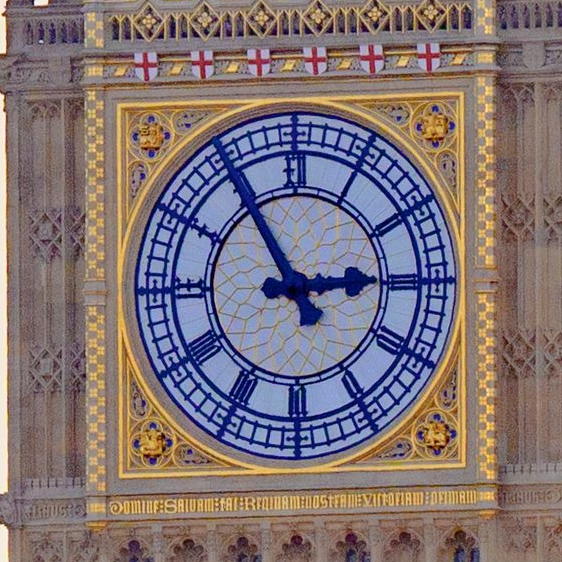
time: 2:54
